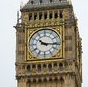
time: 10:15
